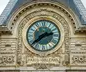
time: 2:39
